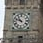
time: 10:48
